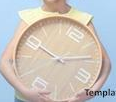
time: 10:14
